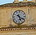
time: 5:20
